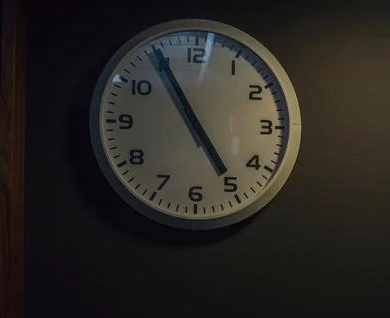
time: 4:54
